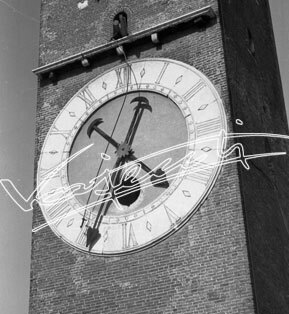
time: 12:52
